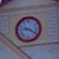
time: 9:20
